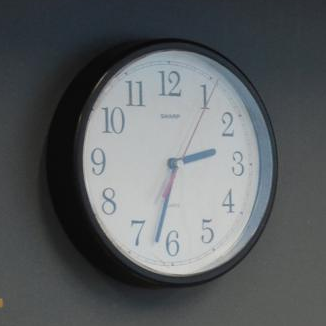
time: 2:32
